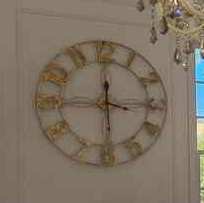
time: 3:29
